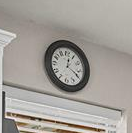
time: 12:19
